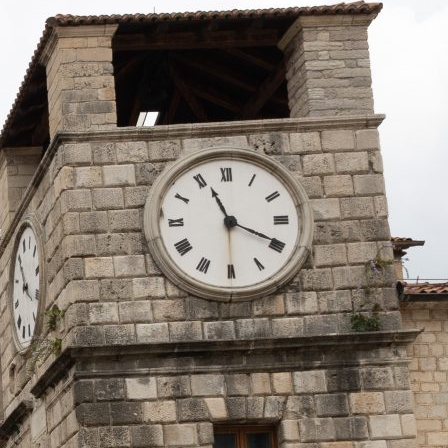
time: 11:19
